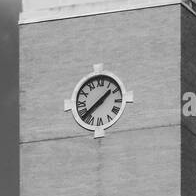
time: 1:38
